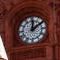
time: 12:09
